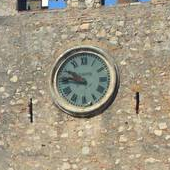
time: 9:45
